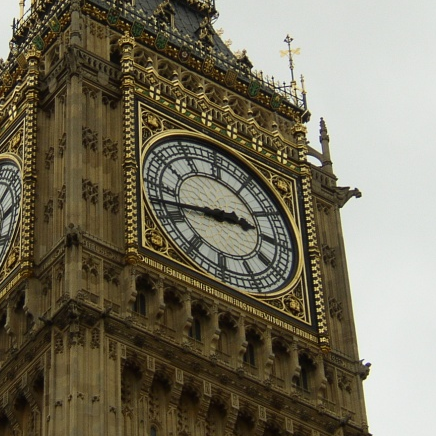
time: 2:42
